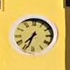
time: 7:33
